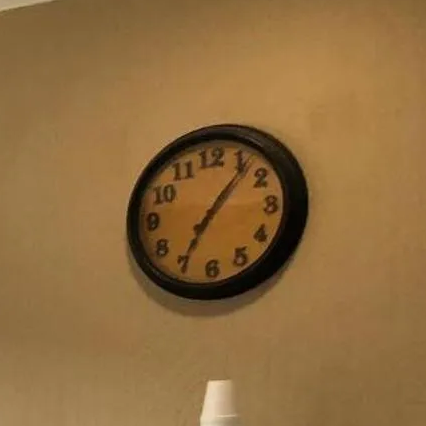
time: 7:06
